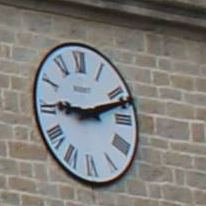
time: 9:12
